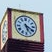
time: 5:19
